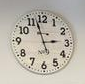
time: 2:57
